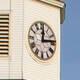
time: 12:13
